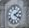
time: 2:21
